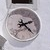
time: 2:22
